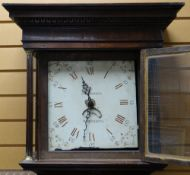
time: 11:32
